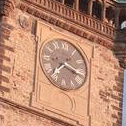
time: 7:17
